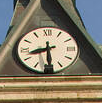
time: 8:29
